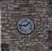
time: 1:43
